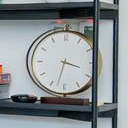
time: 3:32
